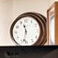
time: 11:32
